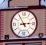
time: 2:55
